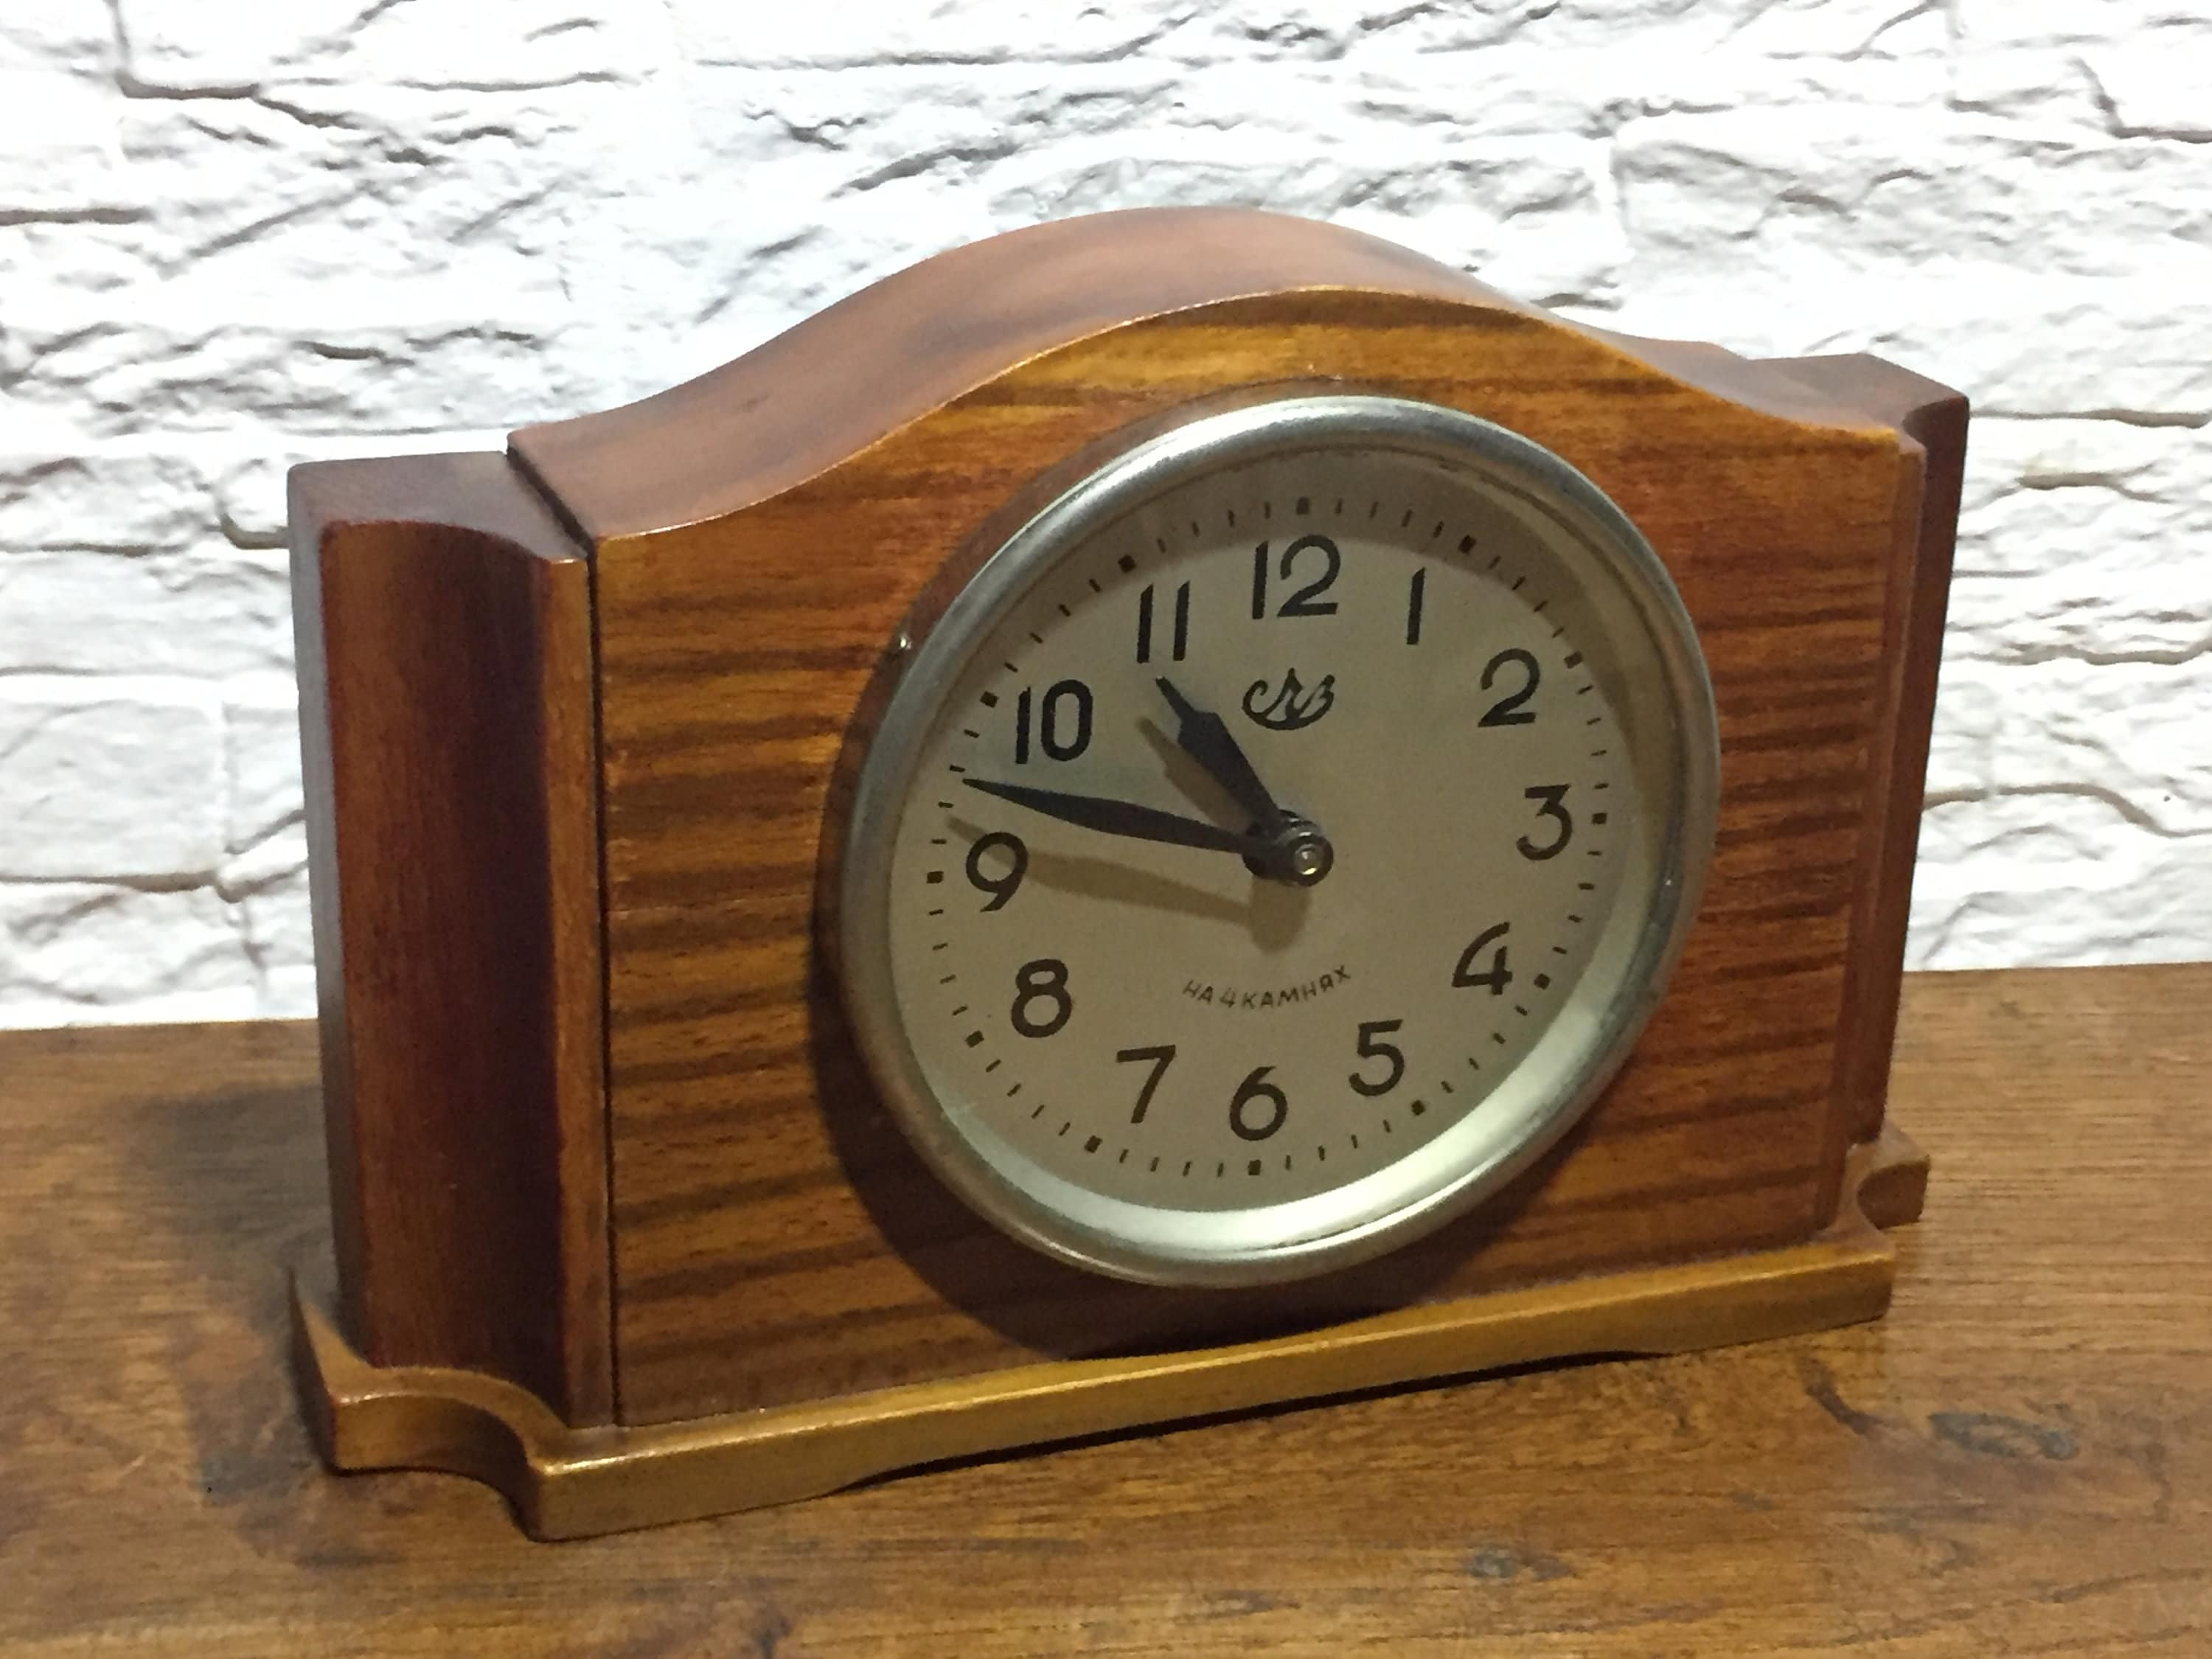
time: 10:47
